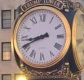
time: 8:40
